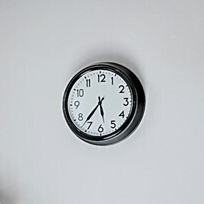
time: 5:36
